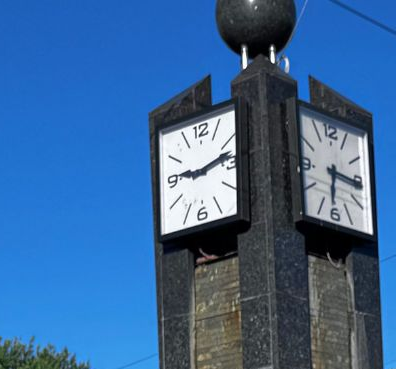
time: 9:13
